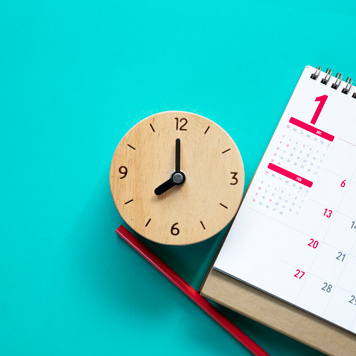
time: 7:59
